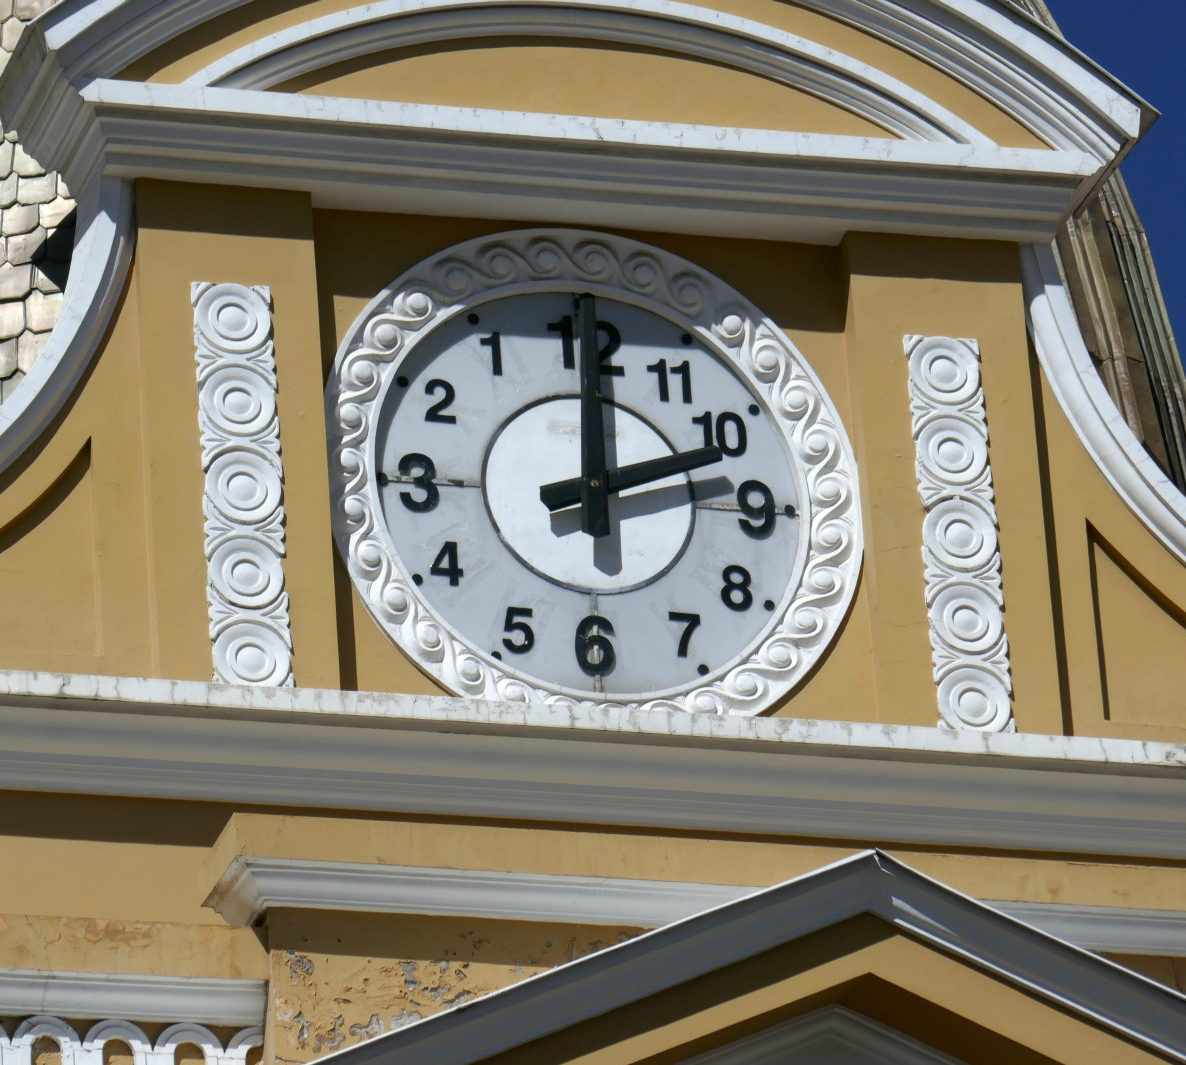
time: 2:00
